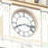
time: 8:16
